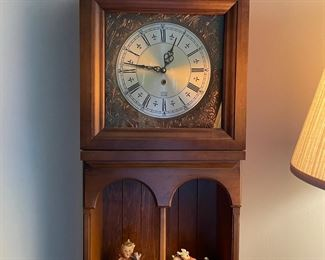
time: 12:46
